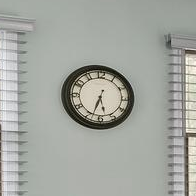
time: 5:33
